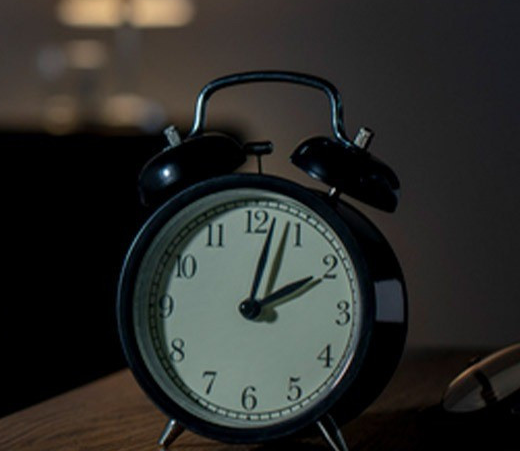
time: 2:02
